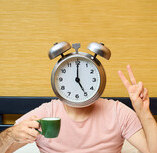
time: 5:00
